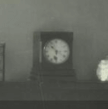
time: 10:32
